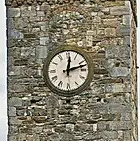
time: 12:12
